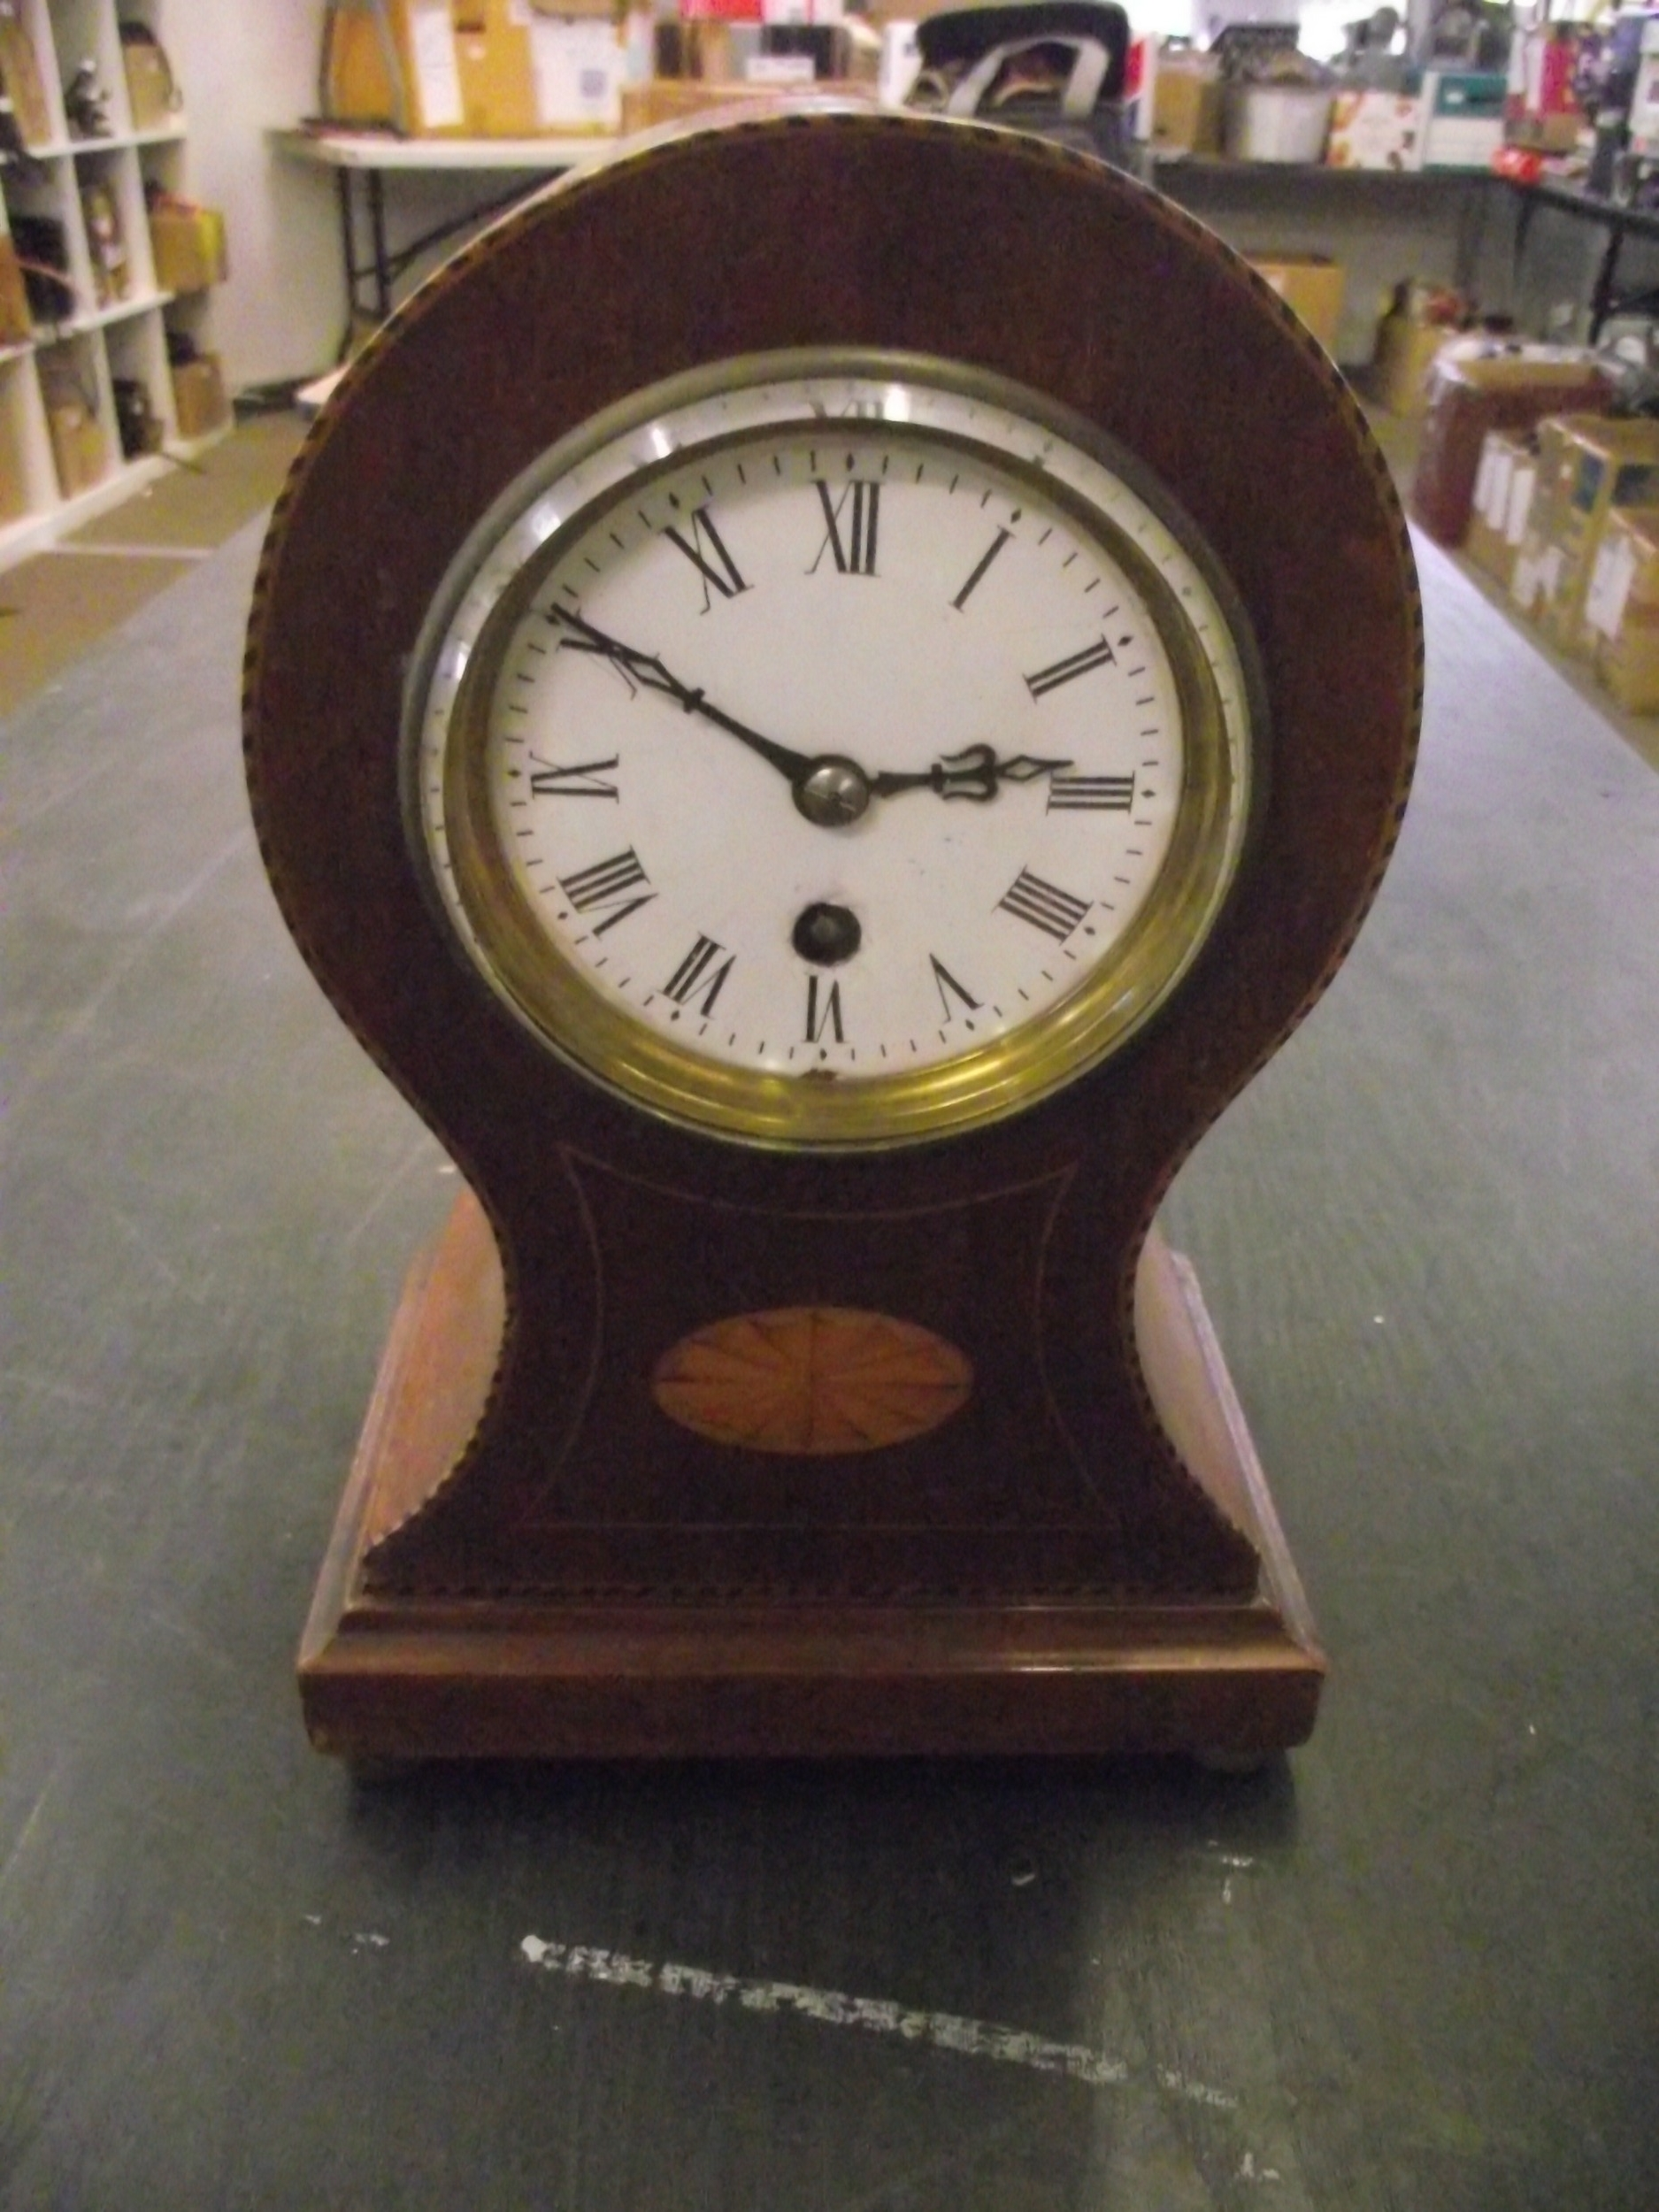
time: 2:50
